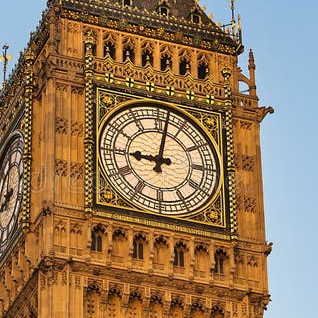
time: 9:01
